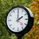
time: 2:00
